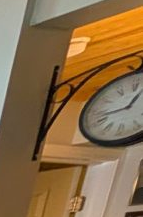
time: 12:42
